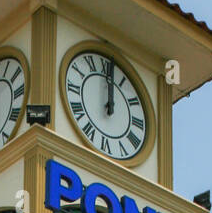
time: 12:01
